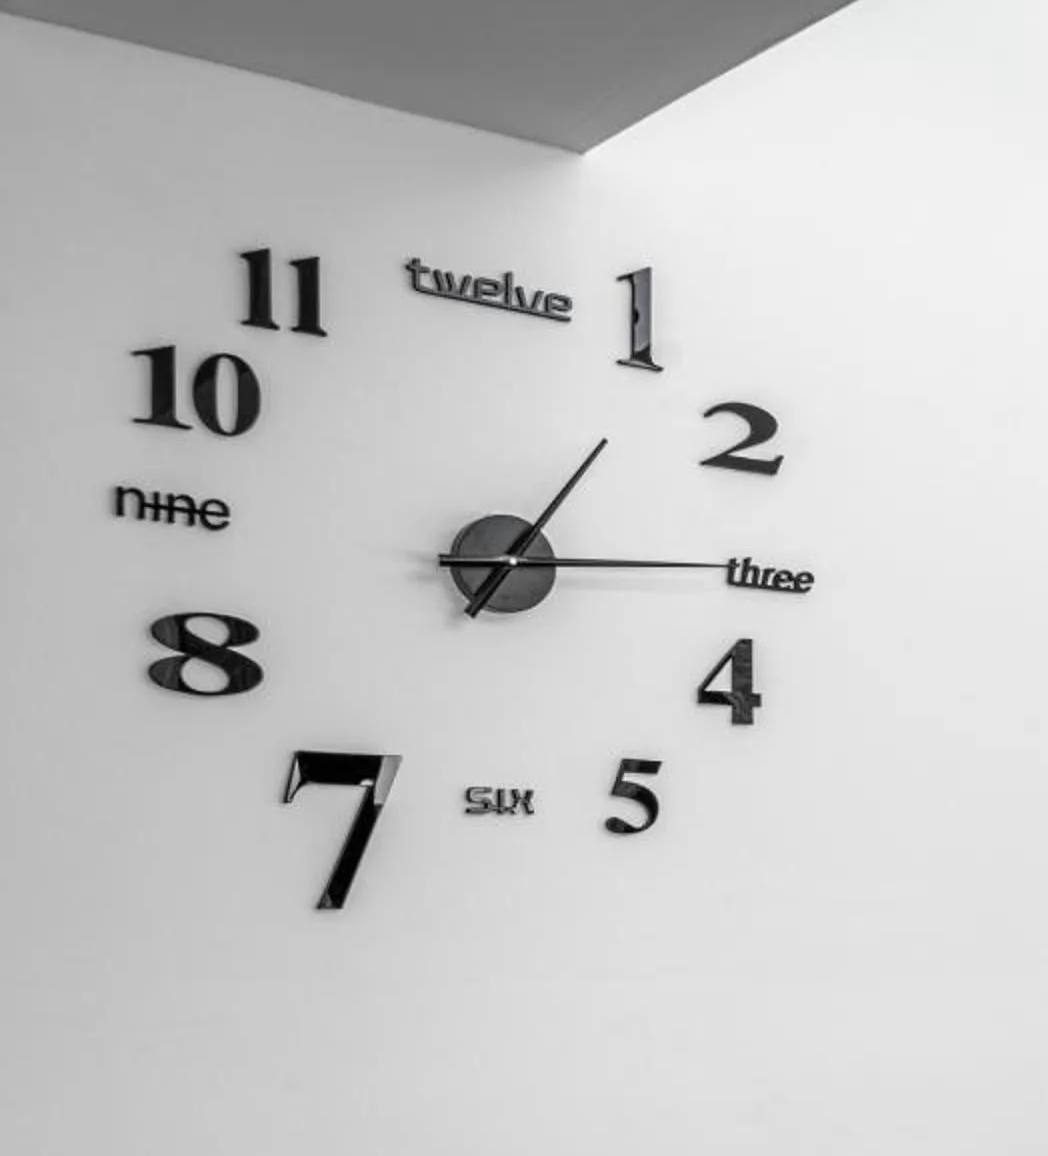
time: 1:14
